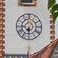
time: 6:29
